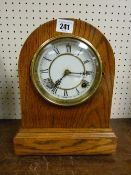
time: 7:15
